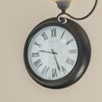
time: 9:26
